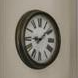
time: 9:08
